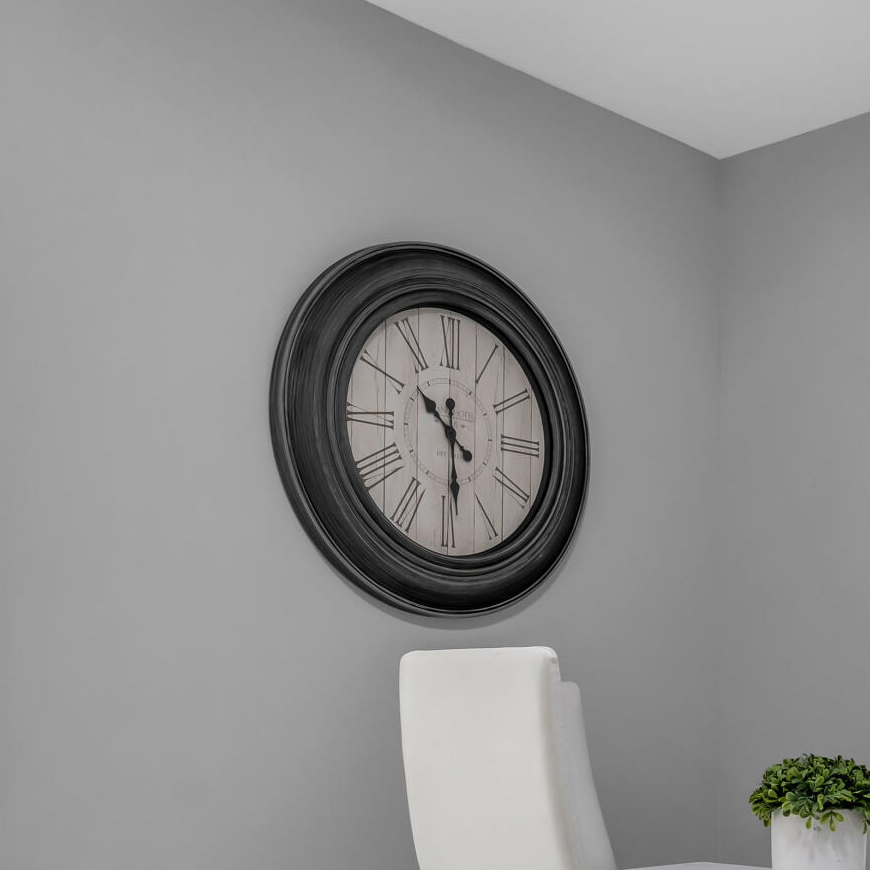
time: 10:29
